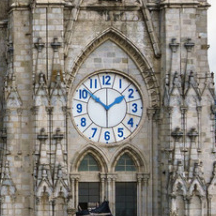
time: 1:51
